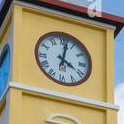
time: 4:02
